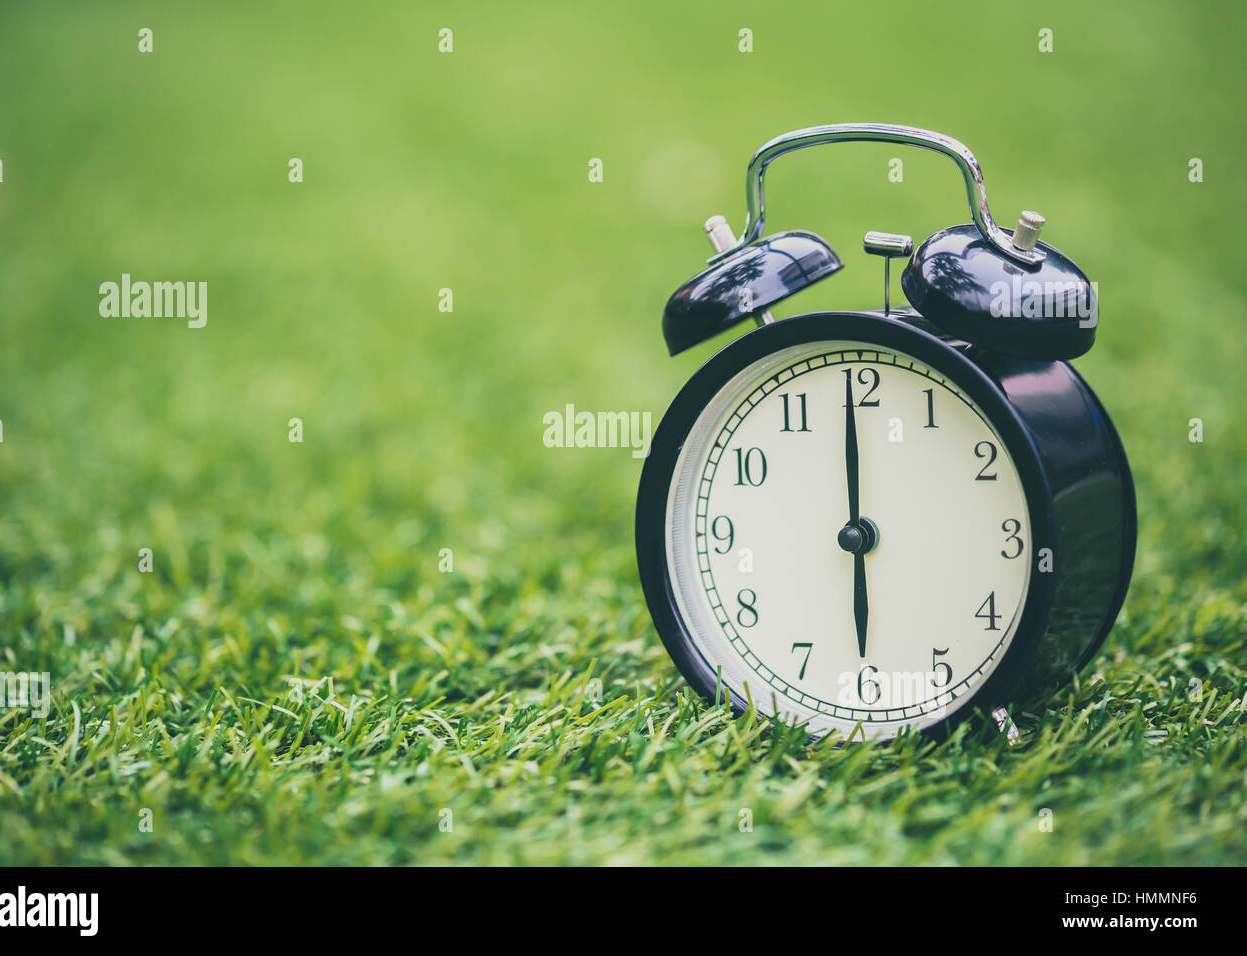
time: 5:59
